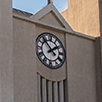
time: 1:52
